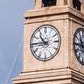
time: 10:45
